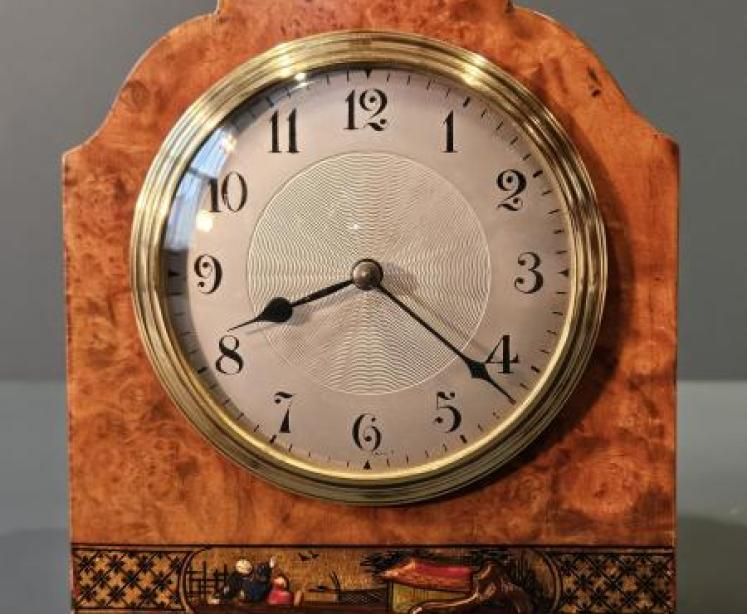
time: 8:21
